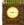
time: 9:15
